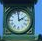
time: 1:59
